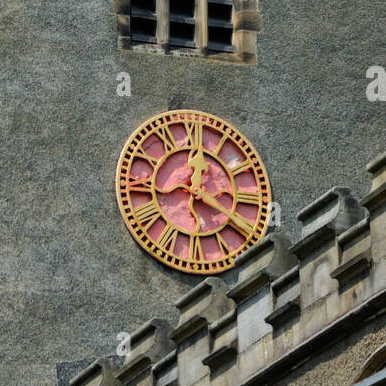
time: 12:19
